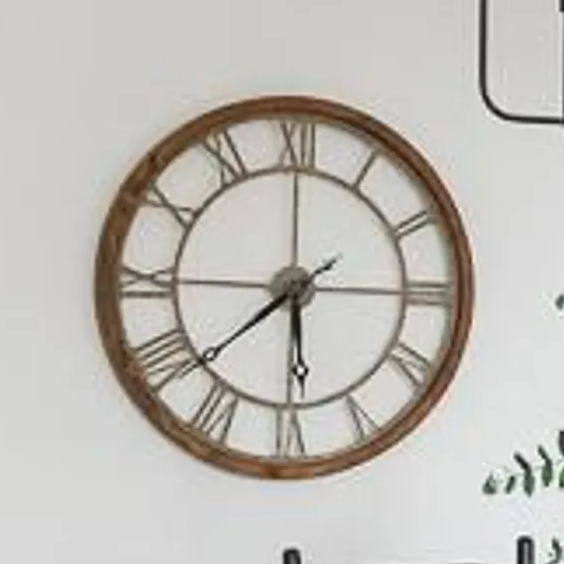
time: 5:38
